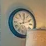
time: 12:11
